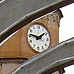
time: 1:46
